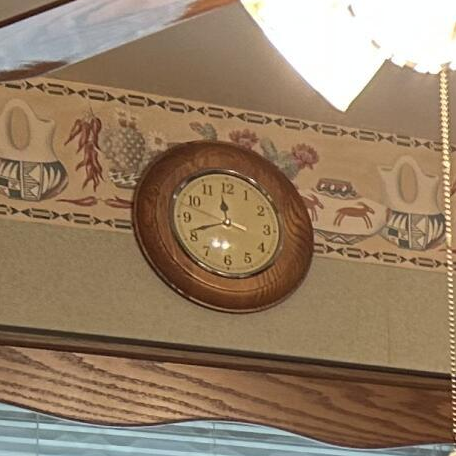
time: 11:41
